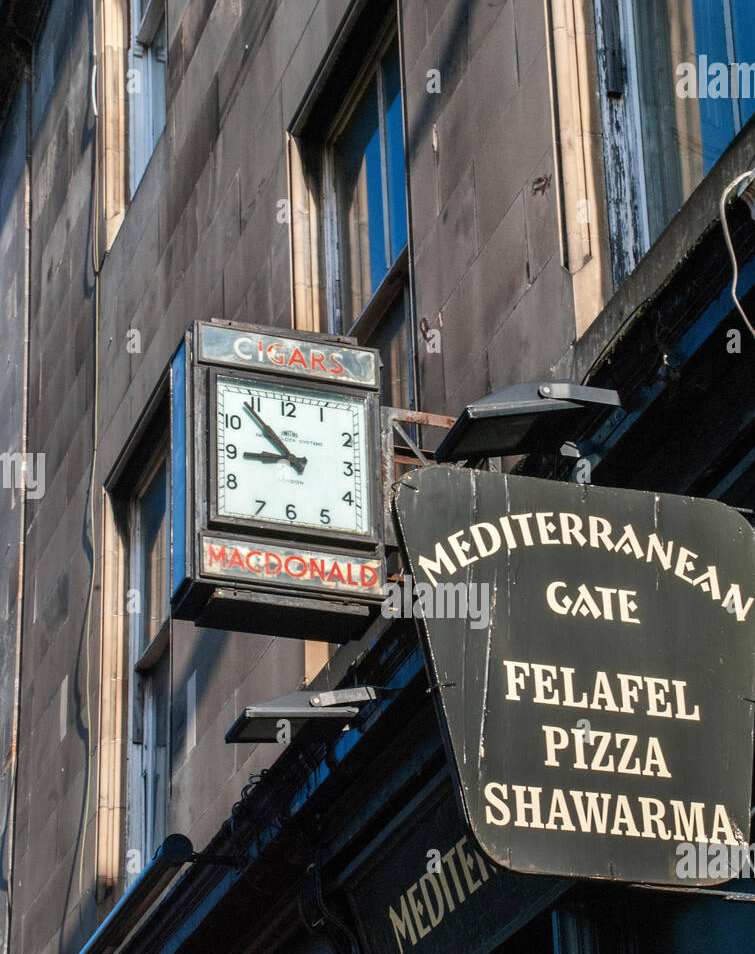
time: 8:53
